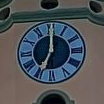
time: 7:00
